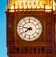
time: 7:47
